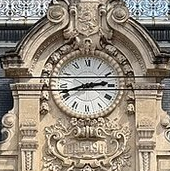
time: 2:42
